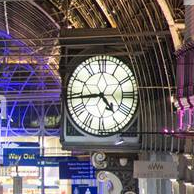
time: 4:43
